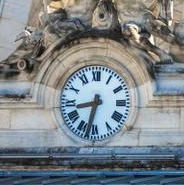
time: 8:32
